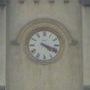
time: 4:18
